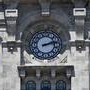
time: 2:12
